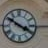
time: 3:50
